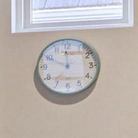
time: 11:49
